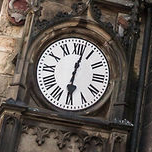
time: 6:02
